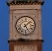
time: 5:07
